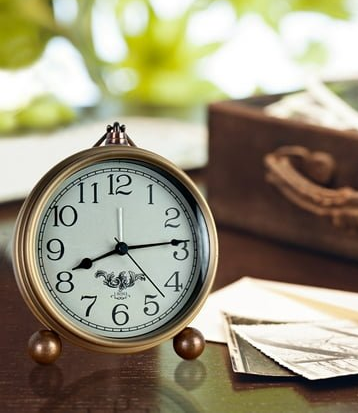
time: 8:14
